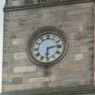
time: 6:13
